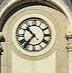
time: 10:36
